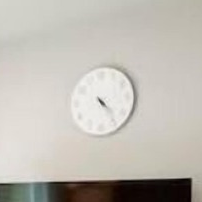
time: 4:23
